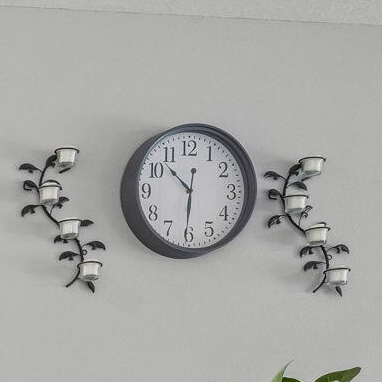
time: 10:30
